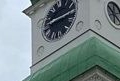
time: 8:12
